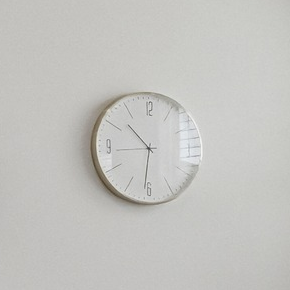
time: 10:31
